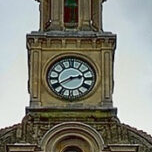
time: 2:40
